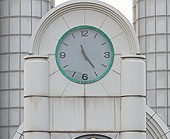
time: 11:23
